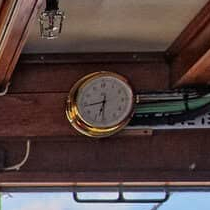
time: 6:43
